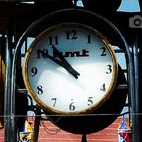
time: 10:50
